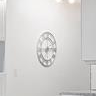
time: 6:13
